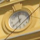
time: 11:37
